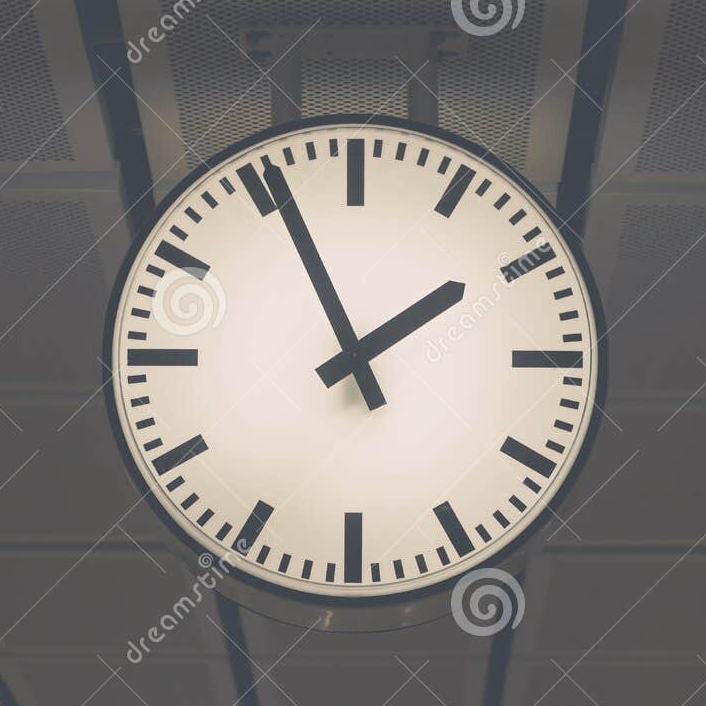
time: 1:56
